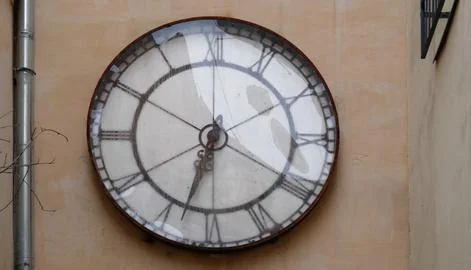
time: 6:32
